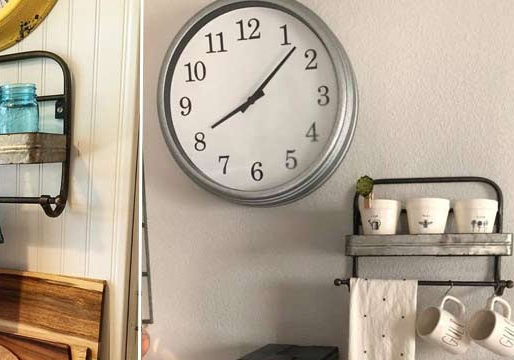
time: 8:07
